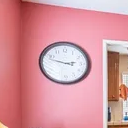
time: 2:47
